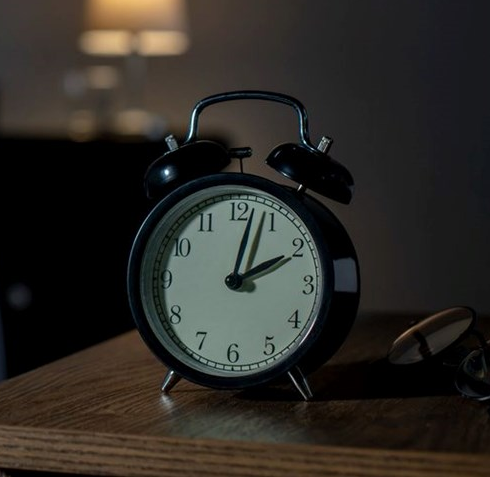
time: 2:02
